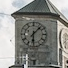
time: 6:07
